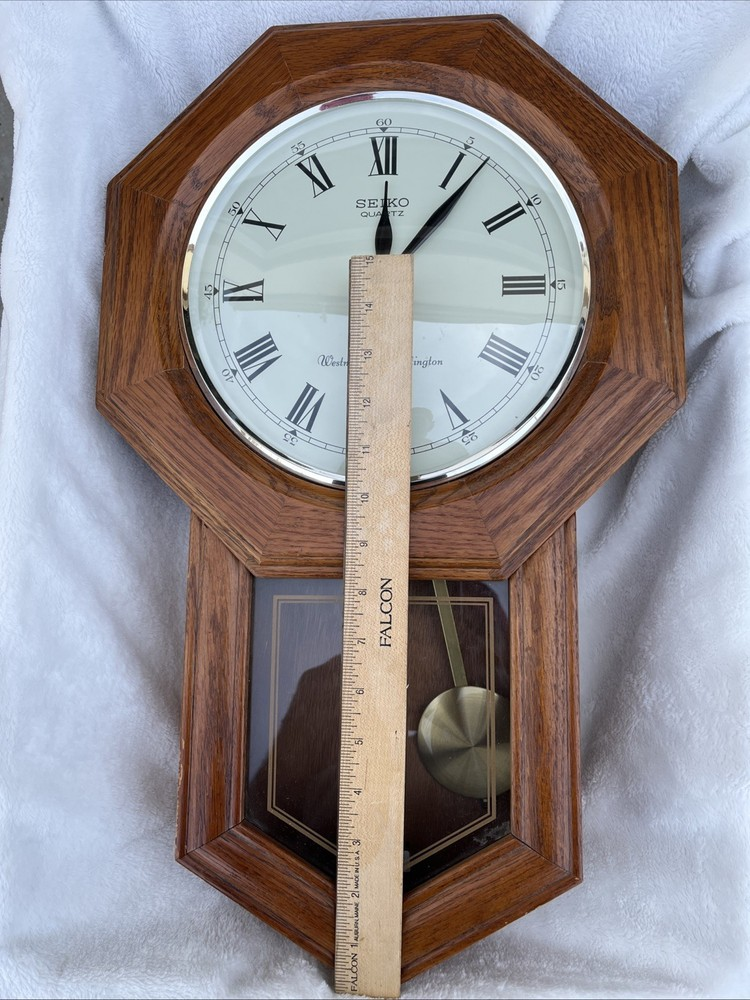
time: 12:06
